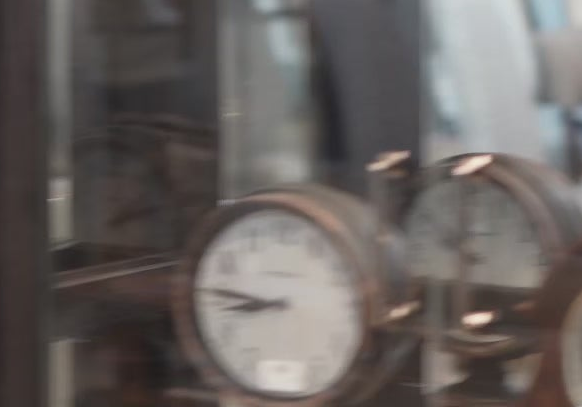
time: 8:46
